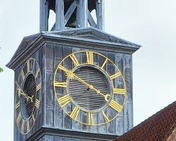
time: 3:50
